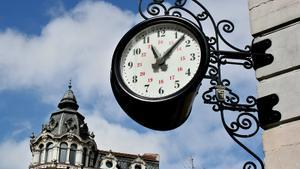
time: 11:07
